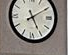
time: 5:09
